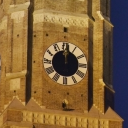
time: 12:01
